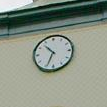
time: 10:34
